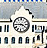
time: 3:44
